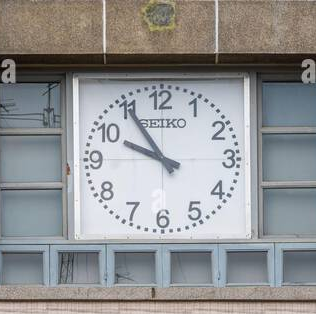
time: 9:54
